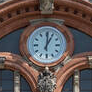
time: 1:01
